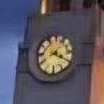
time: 8:19
